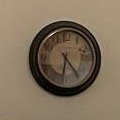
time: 6:23
